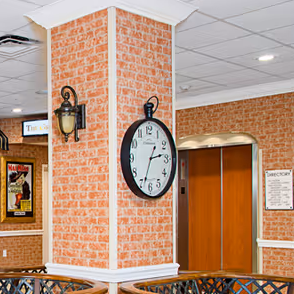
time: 2:33
